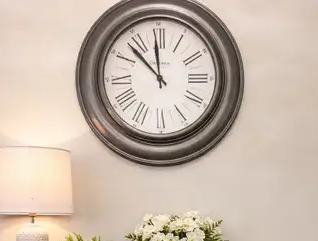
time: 11:52
